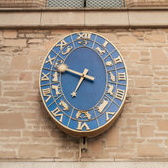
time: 6:47
